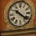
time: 10:21
